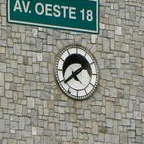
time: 1:39
